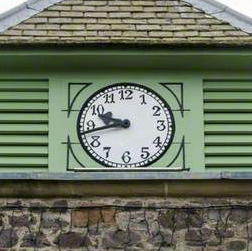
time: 9:43
